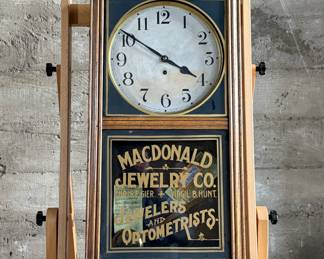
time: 3:50
